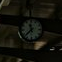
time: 11:37
